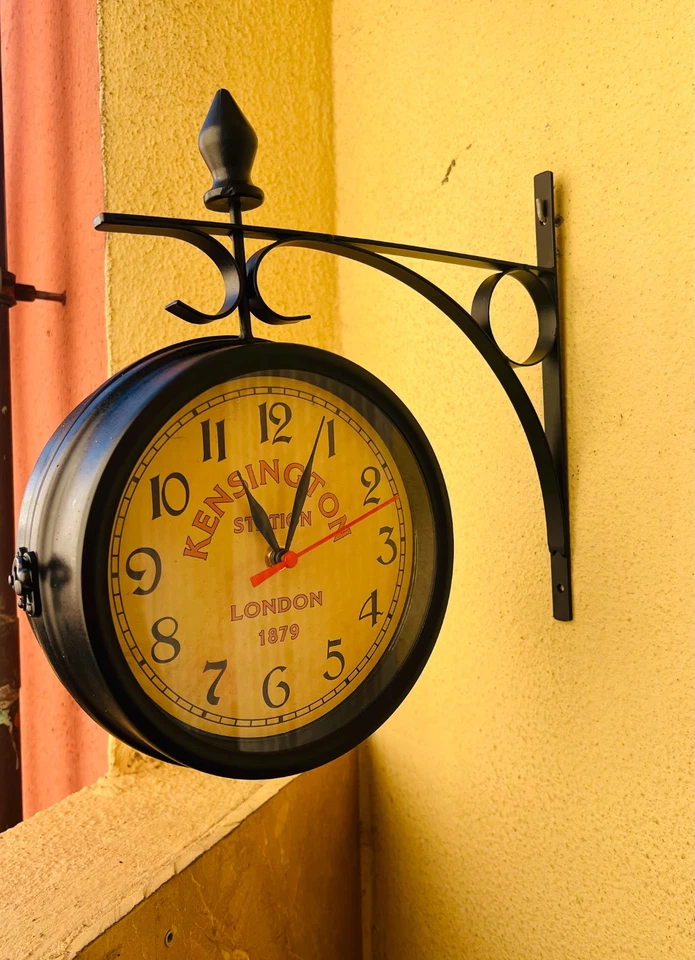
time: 11:04
